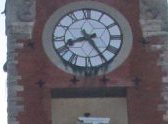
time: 8:24
